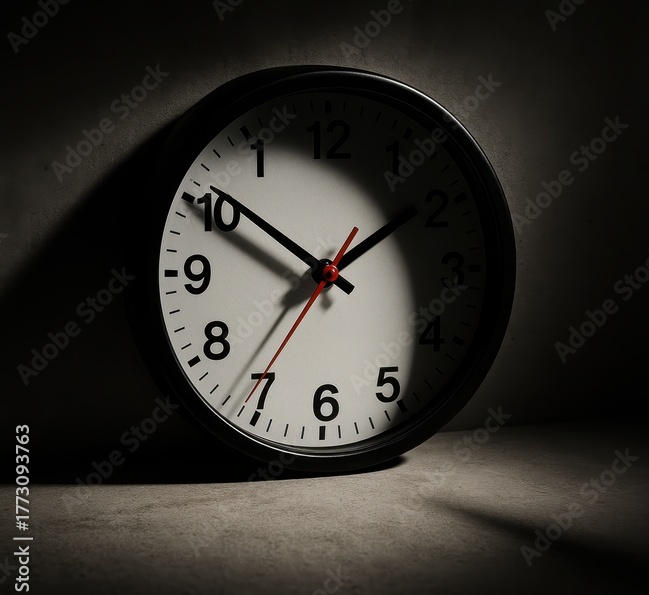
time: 1:50
